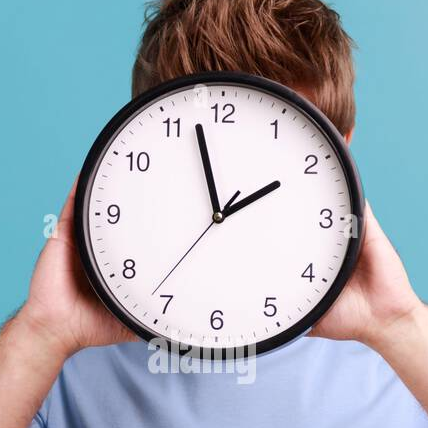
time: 1:57
